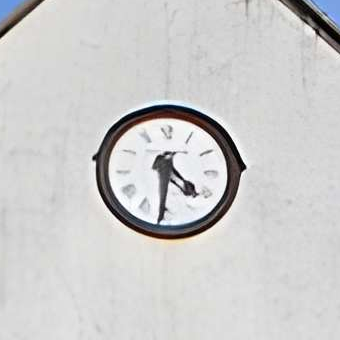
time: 4:31
